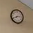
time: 2:40
